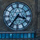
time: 3:36
